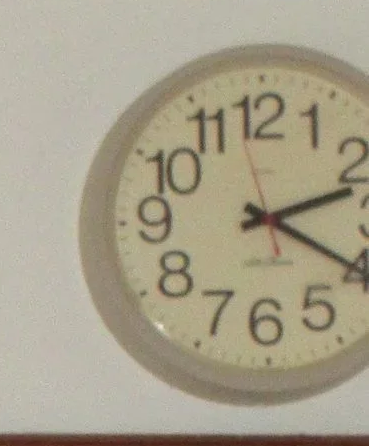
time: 2:19
